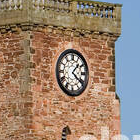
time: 1:21
